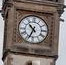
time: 10:34
